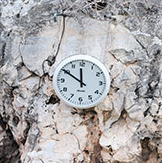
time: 11:50
